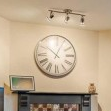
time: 12:52
